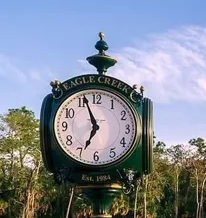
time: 6:56
